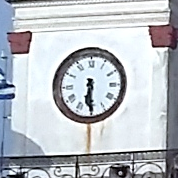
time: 6:29
